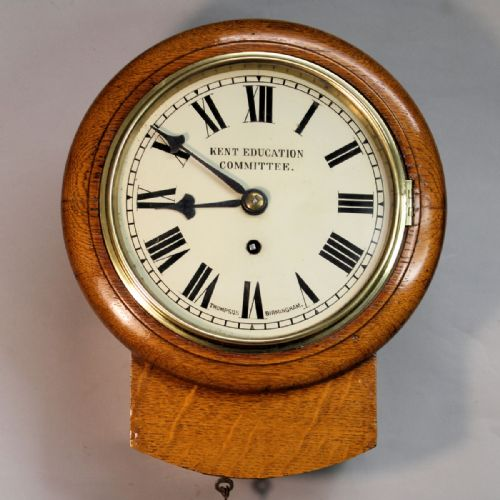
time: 8:50
